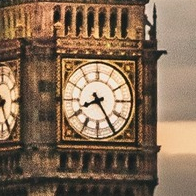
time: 8:24
